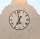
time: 6:58
